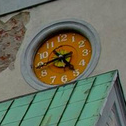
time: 4:44
